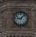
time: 9:07
